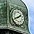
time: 1:40
